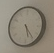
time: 5:23
